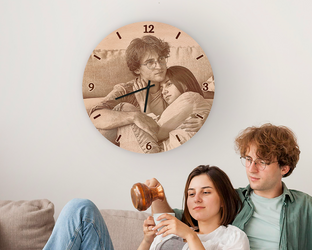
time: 6:41
